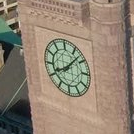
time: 8:07
